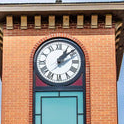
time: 1:08
